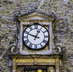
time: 12:48
